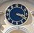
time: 3:20
